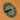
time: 7:40
